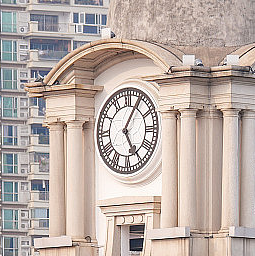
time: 5:04
